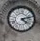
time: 4:12
